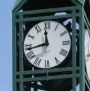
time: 11:43
